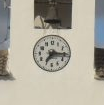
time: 7:15
